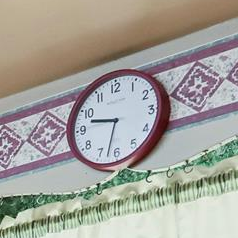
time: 9:32
